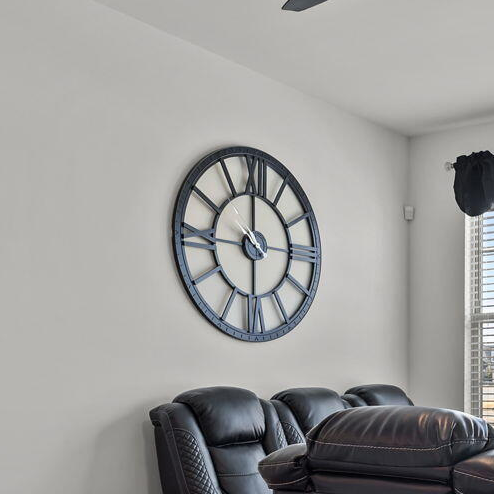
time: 5:59
